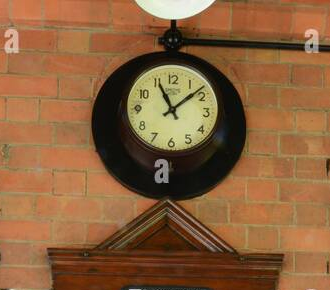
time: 11:08
